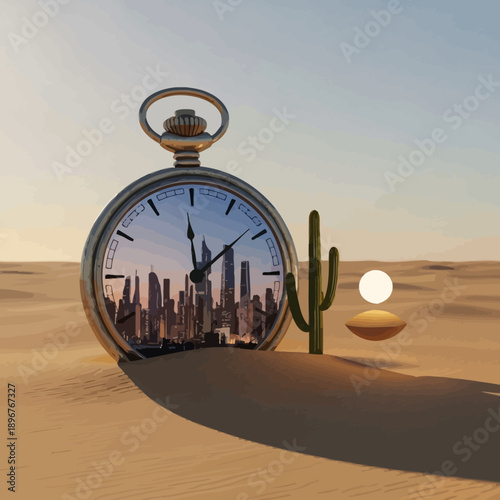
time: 12:08
